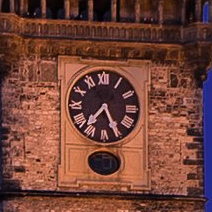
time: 7:25
